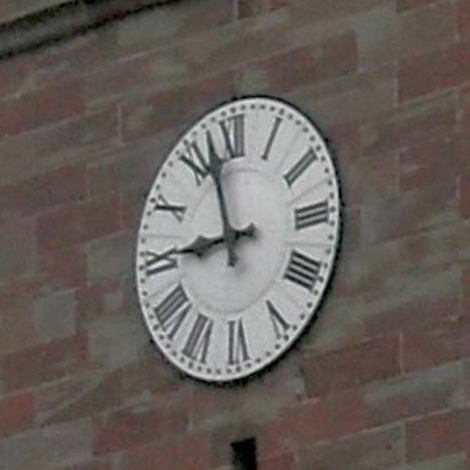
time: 8:57
